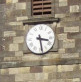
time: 3:28
